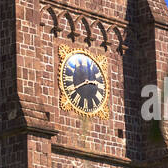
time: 2:40
